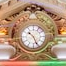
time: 10:24
